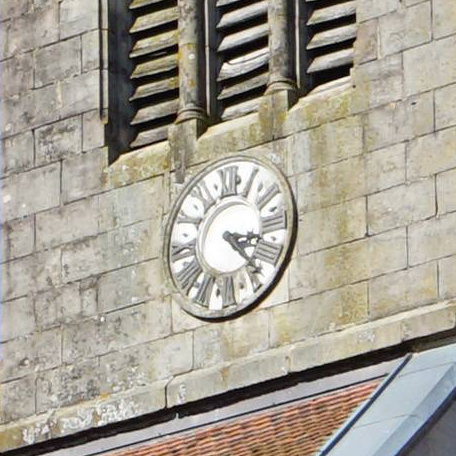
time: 3:22
